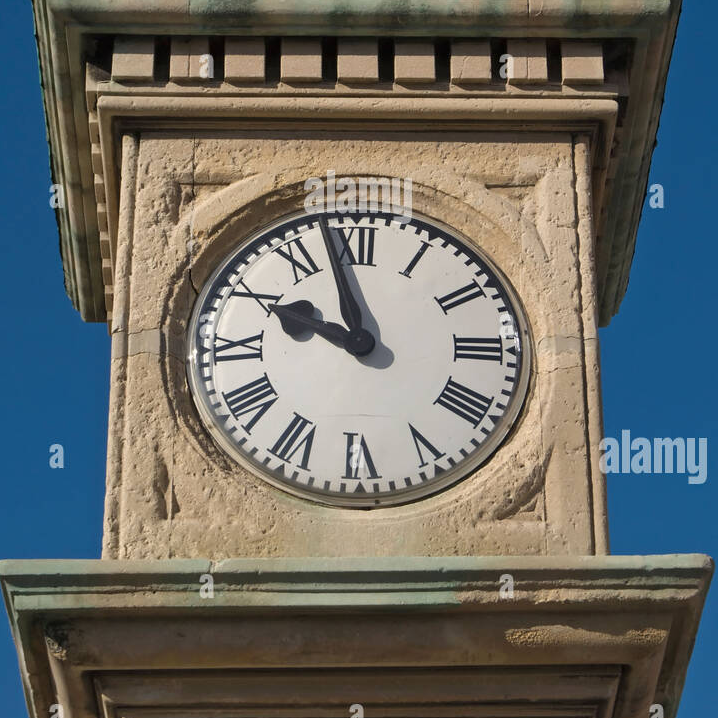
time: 9:57
